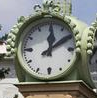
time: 12:09
